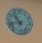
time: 10:42
